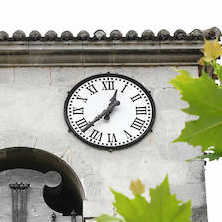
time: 12:37
